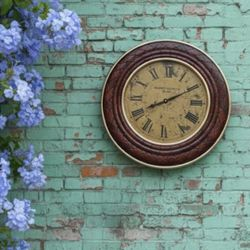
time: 8:10
